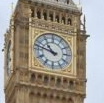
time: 10:47
